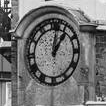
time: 1:01
